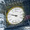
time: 9:48
